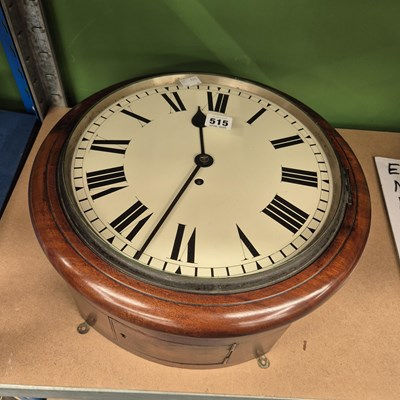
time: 11:32
